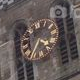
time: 3:34
